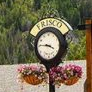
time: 3:45
